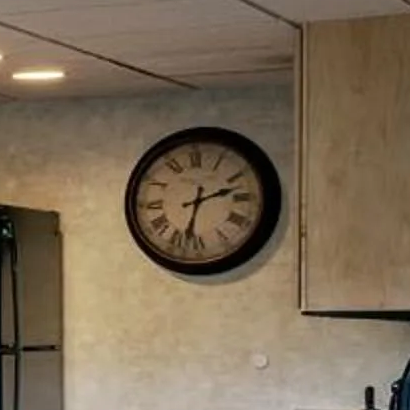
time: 2:32
